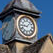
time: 9:07
